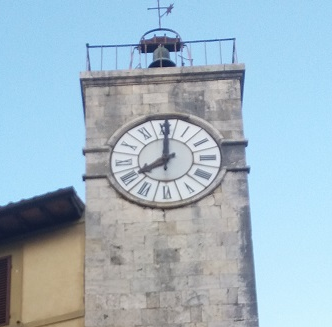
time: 8:00
